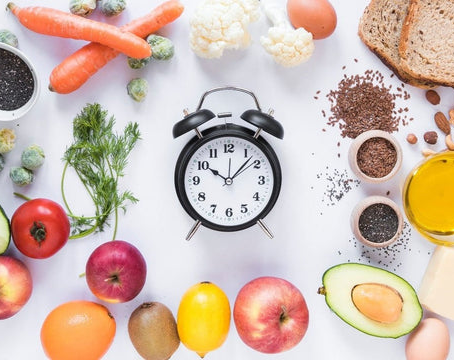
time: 10:07
